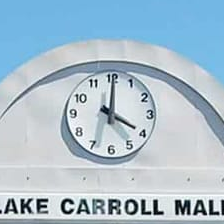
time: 4:00
